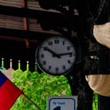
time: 10:13
